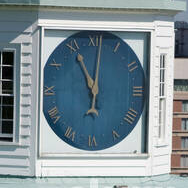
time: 5:55
